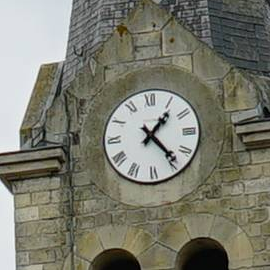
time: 1:23
